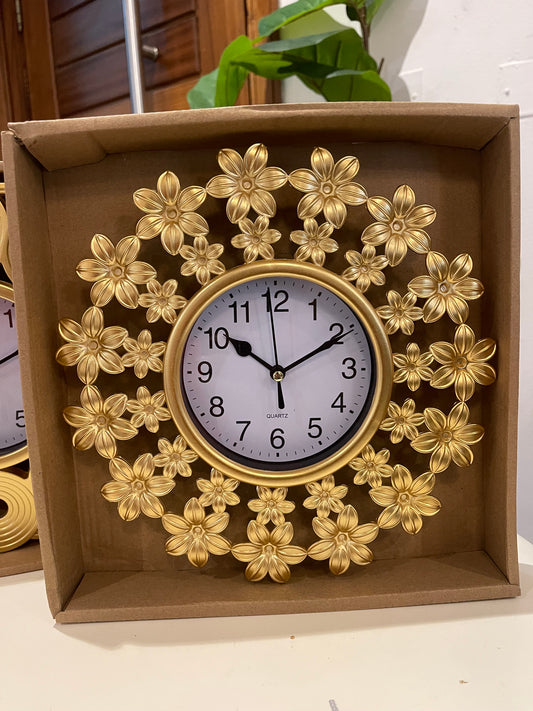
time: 10:10
